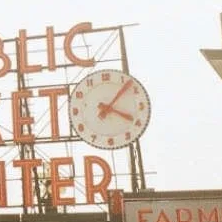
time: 4:07
